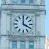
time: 4:00
